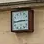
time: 2:44
